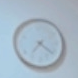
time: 7:21
